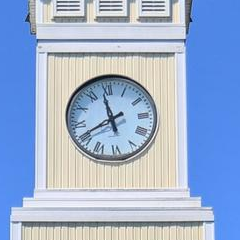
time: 11:41
